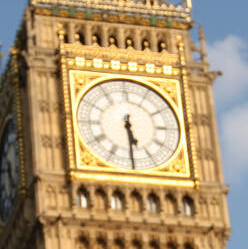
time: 5:29
